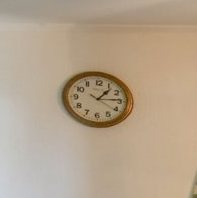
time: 1:14
